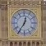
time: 12:35
